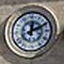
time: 12:10
